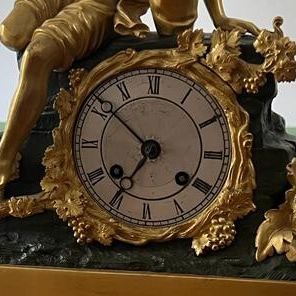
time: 6:51
